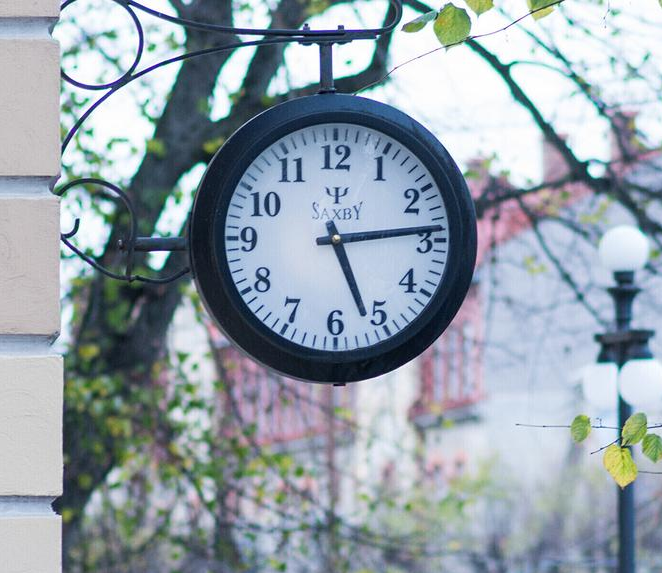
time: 5:13
